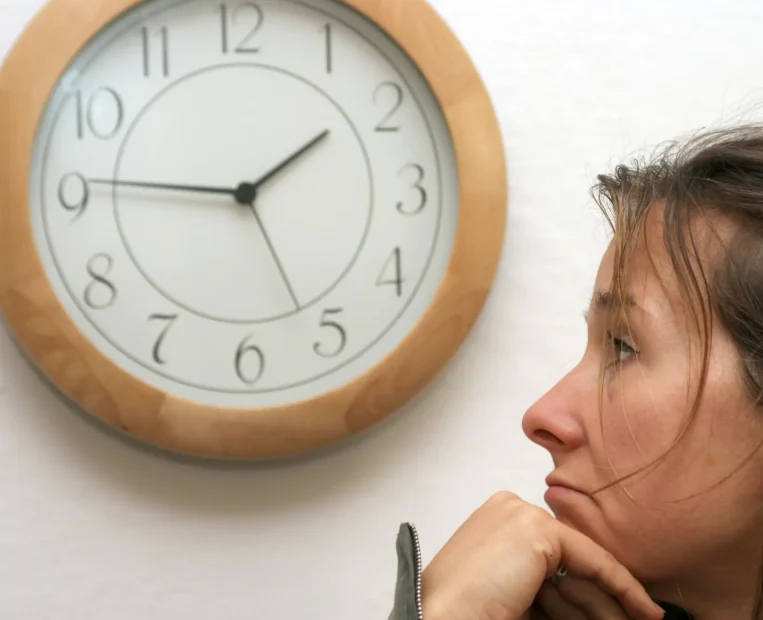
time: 1:45
